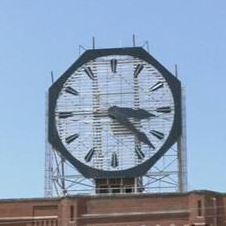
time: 3:22
